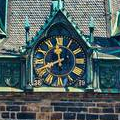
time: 11:41
